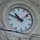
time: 10:48
